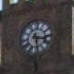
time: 3:28
